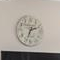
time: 2:33
